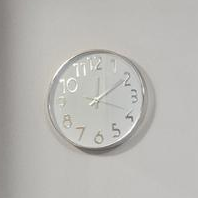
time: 12:09
